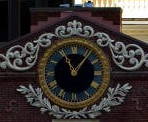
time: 11:06
